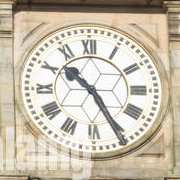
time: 10:25
